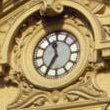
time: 11:35
